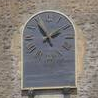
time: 1:54
